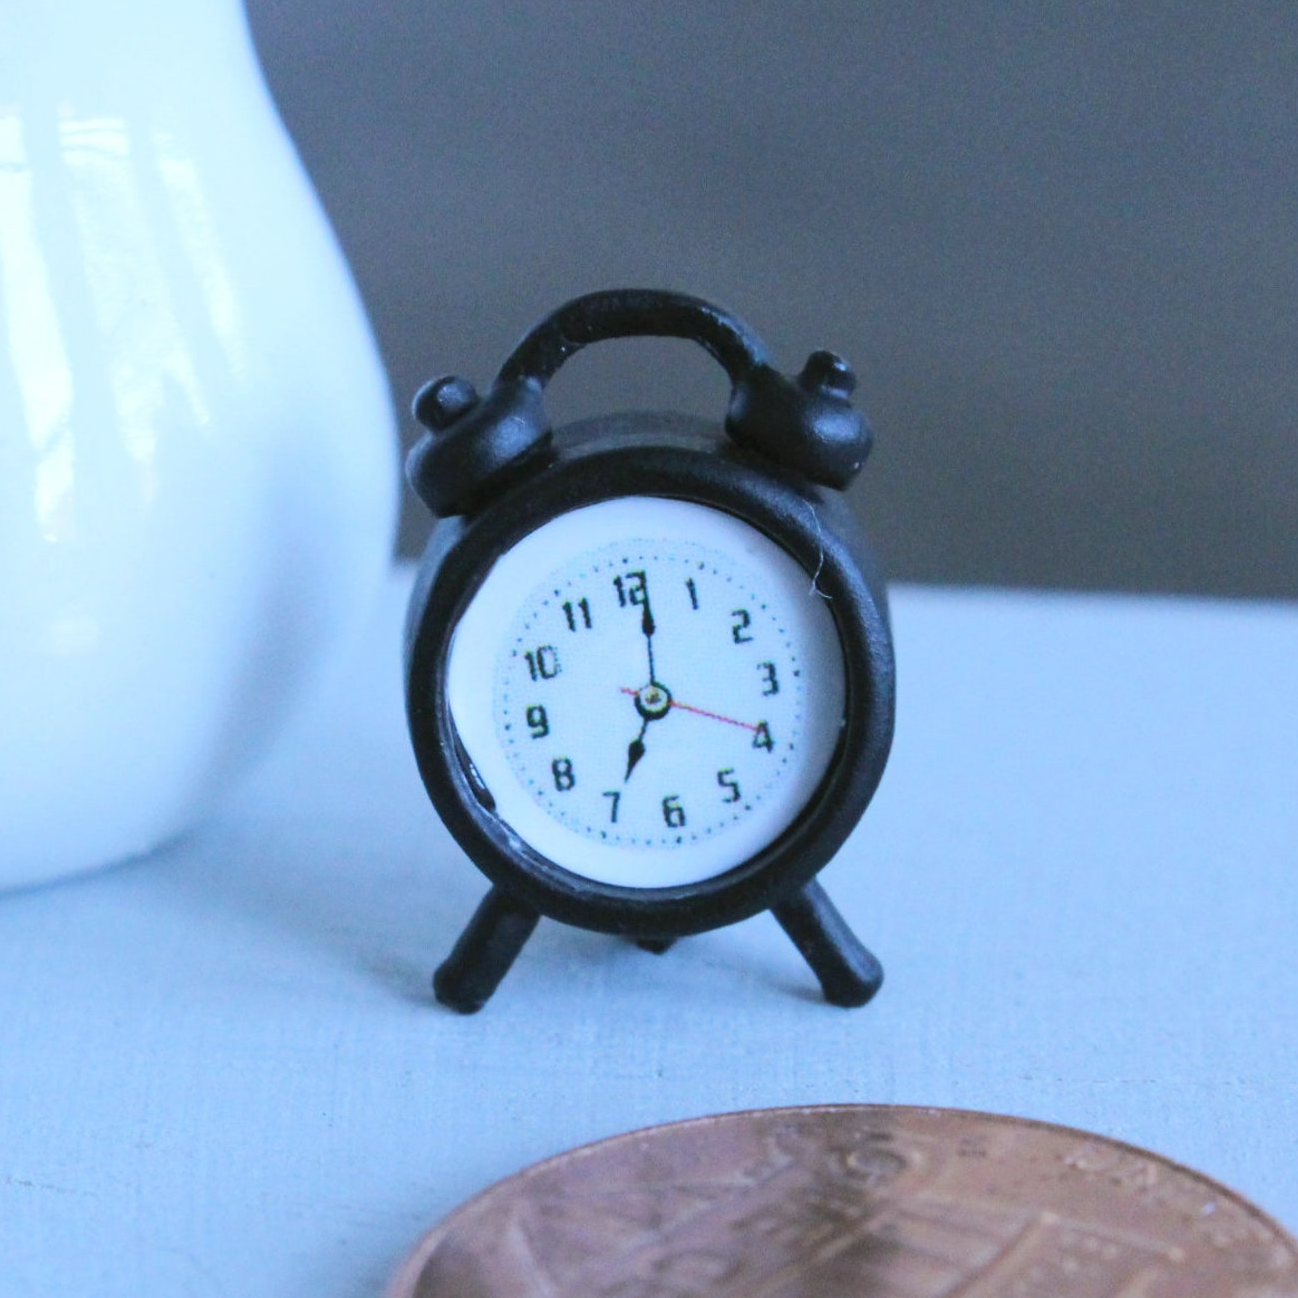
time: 7:01
